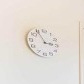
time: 2:54
